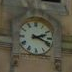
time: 2:18
